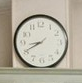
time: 8:40
